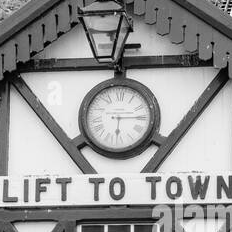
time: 6:14
